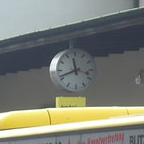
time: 11:41
